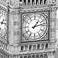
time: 1:12
